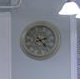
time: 2:22
